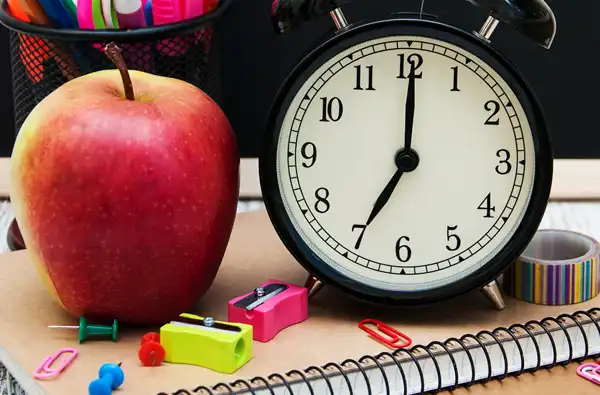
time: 7:00
